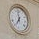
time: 6:58
